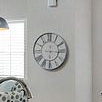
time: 6:15
